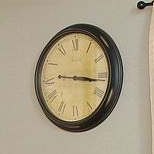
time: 9:16
